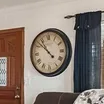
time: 10:52
